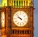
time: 9:52
